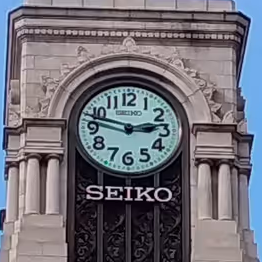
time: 2:47
